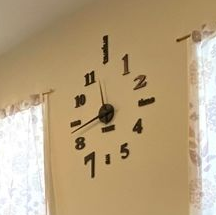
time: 11:43
